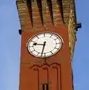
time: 9:32
